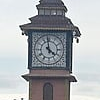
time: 3:58
